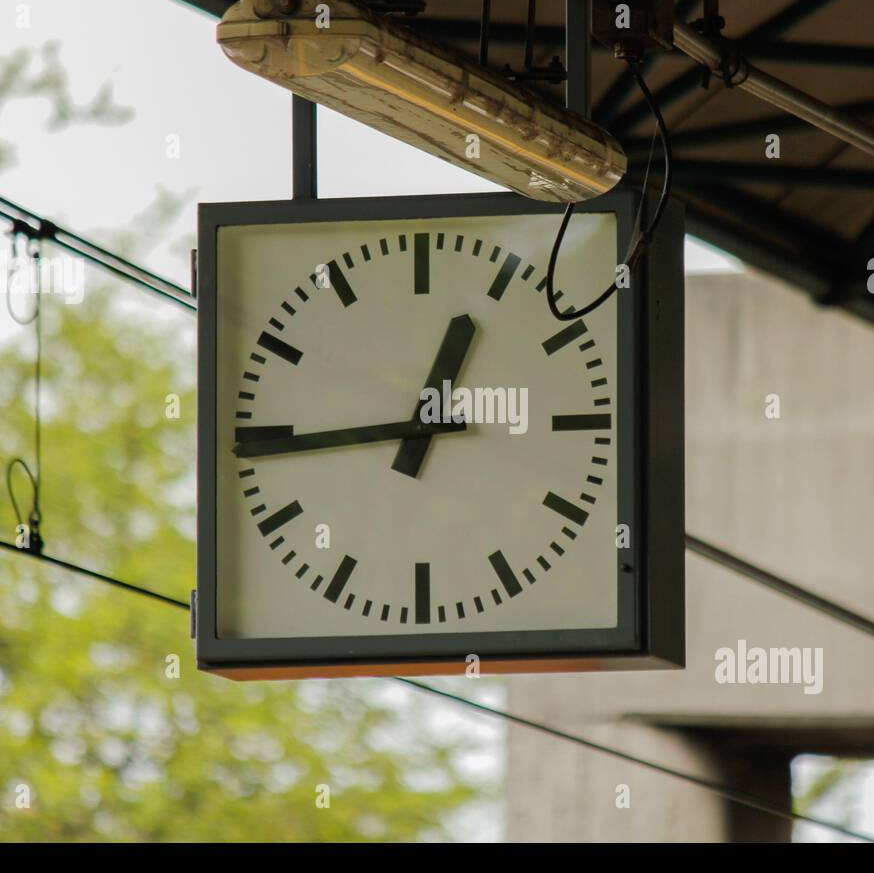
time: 12:44
